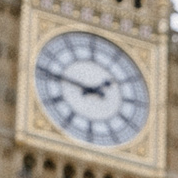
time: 1:46
